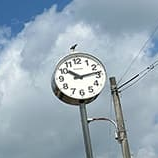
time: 10:13
